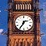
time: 2:35
